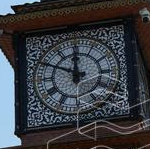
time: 11:49
